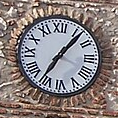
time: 7:07
